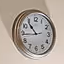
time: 10:44
